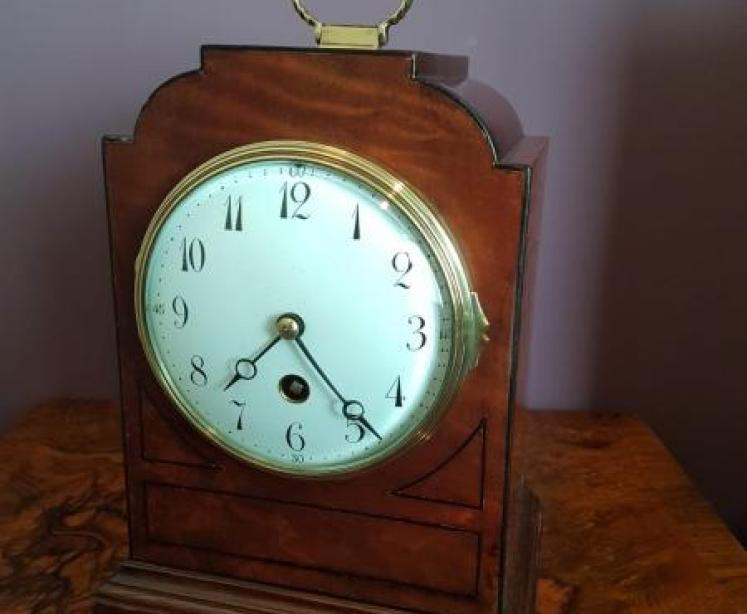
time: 7:23
